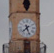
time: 7:26
